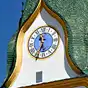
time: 11:34
